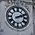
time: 2:11
